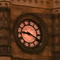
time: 9:19
